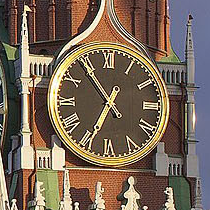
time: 6:54
